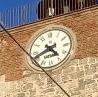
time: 4:41
